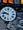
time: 9:45
